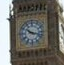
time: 10:17
